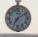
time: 7:09
